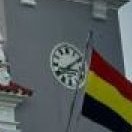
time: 8:09
